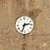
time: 2:33
